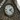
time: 2:23
